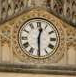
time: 12:29
